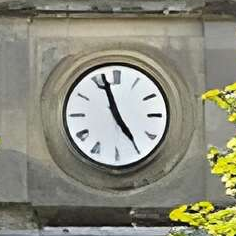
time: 4:56
